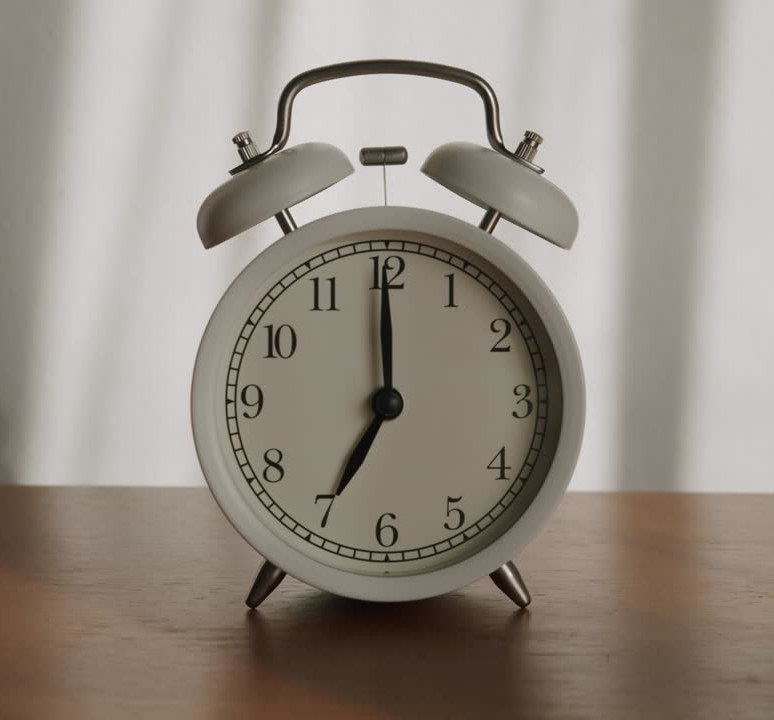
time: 7:00
